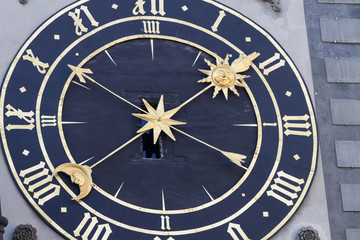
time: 6:08
